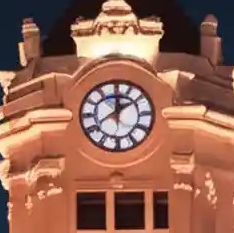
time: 12:09
